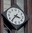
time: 3:36
